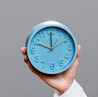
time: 10:00
